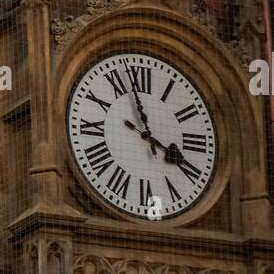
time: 3:57
